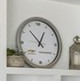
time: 12:53
